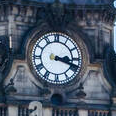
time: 3:18
